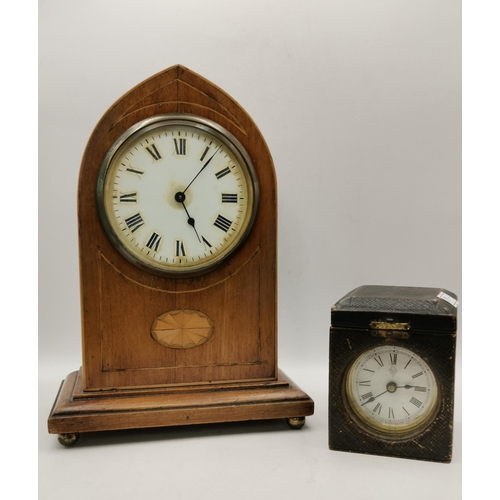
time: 5:06
